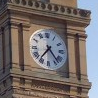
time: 7:23
